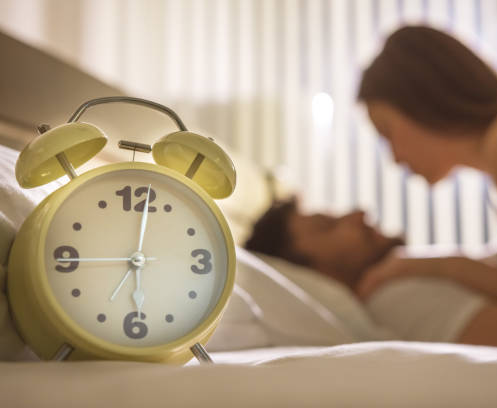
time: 6:01
